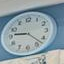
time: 9:22
